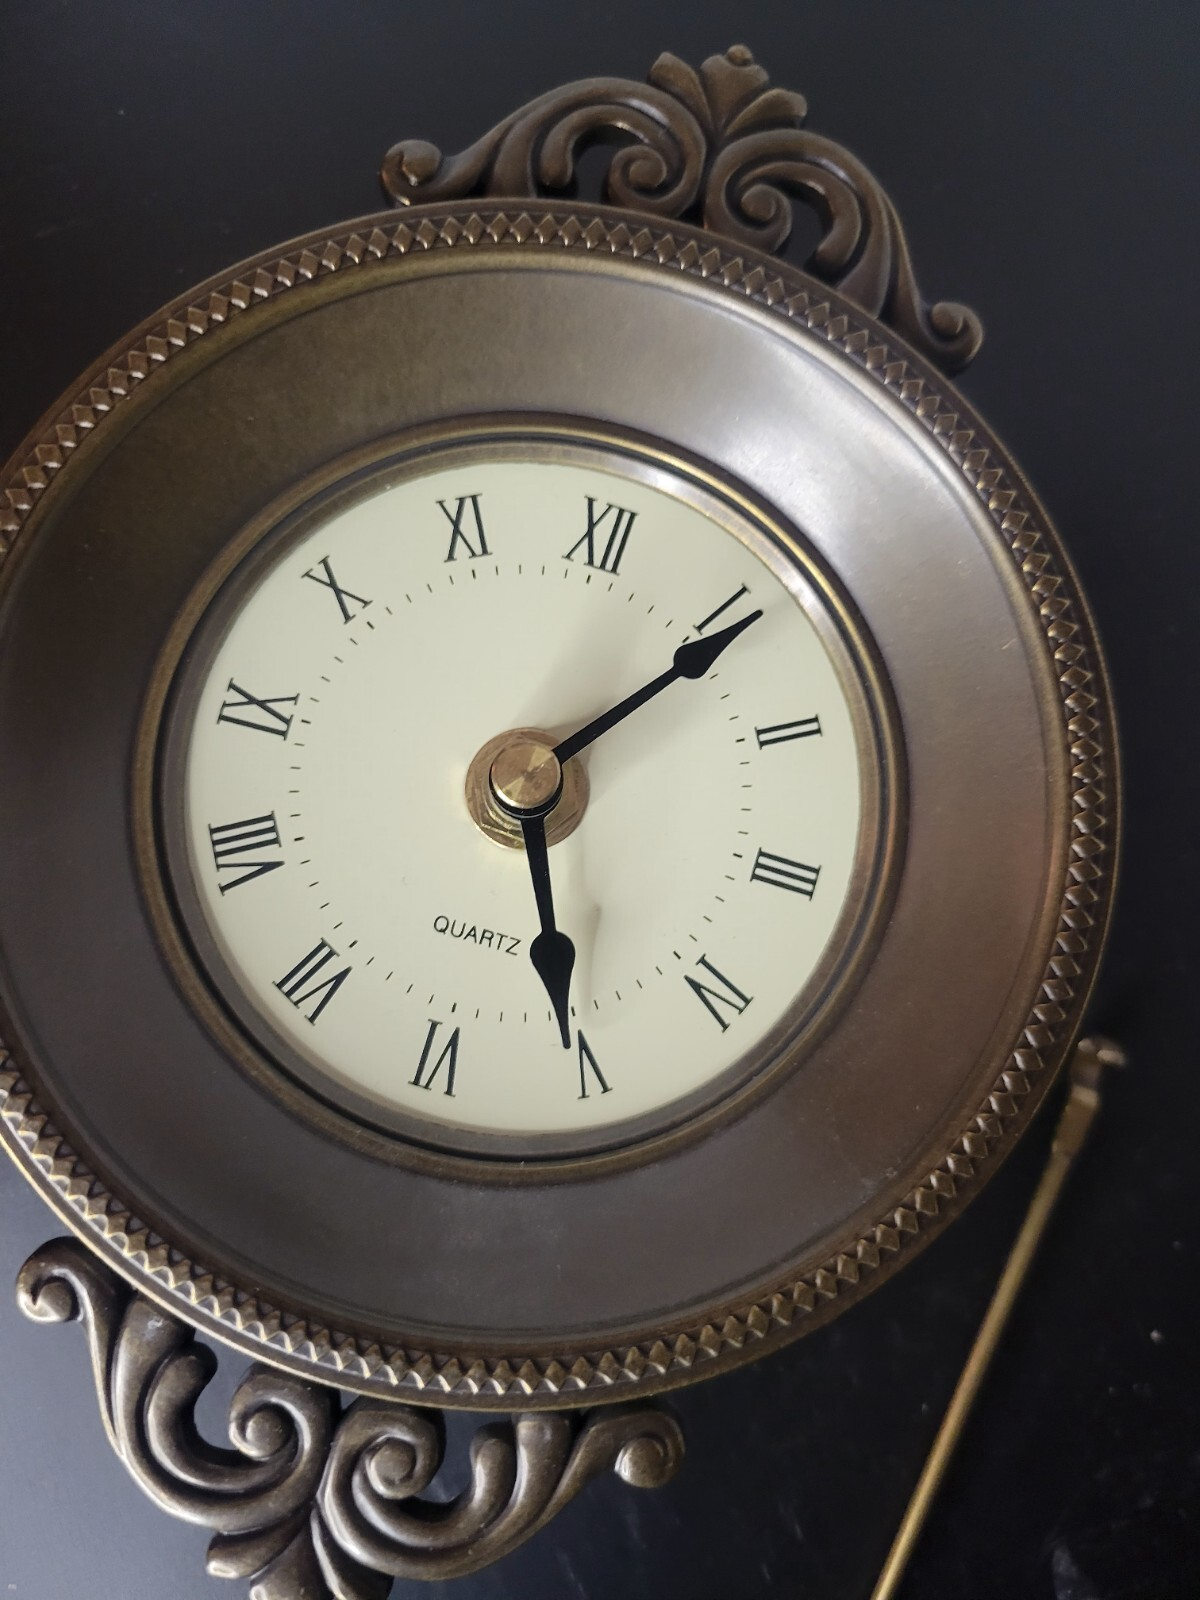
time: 5:06
